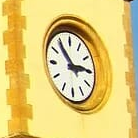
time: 2:53
